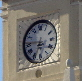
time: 6:46
